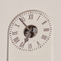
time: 6:53
